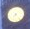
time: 7:24
